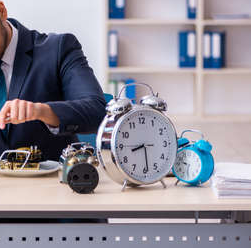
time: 8:29
